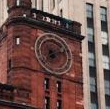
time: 7:12
